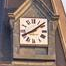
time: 8:08
